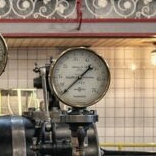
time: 1:37
